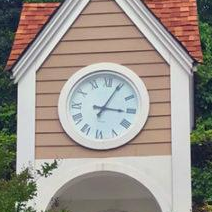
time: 3:04
